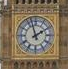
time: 1:57
